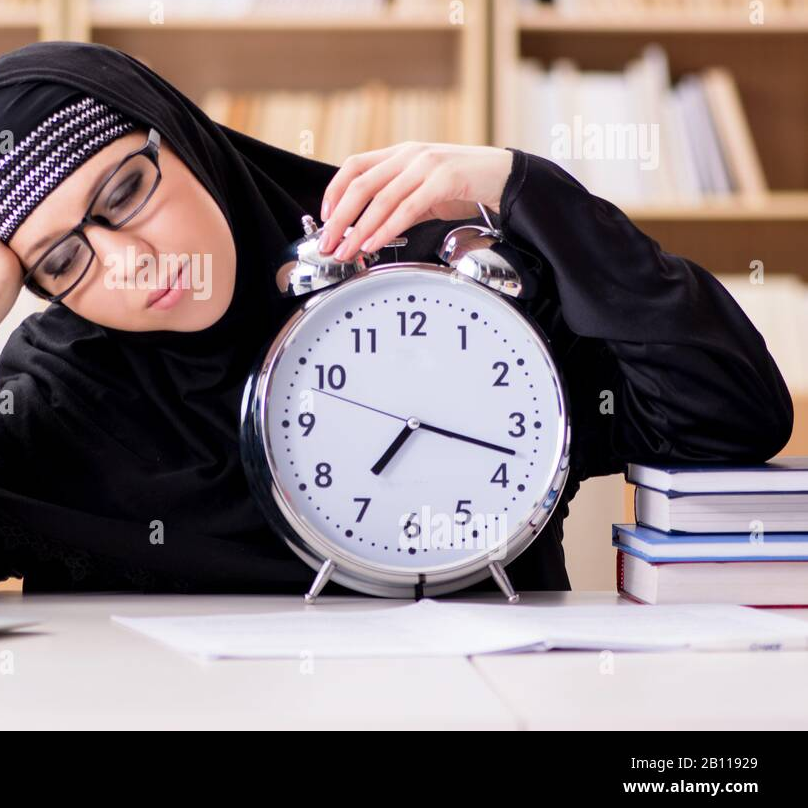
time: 7:17
